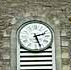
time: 2:26
